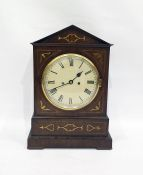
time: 1:41
